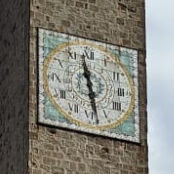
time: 11:28
